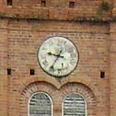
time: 9:35
